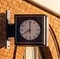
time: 7:59
